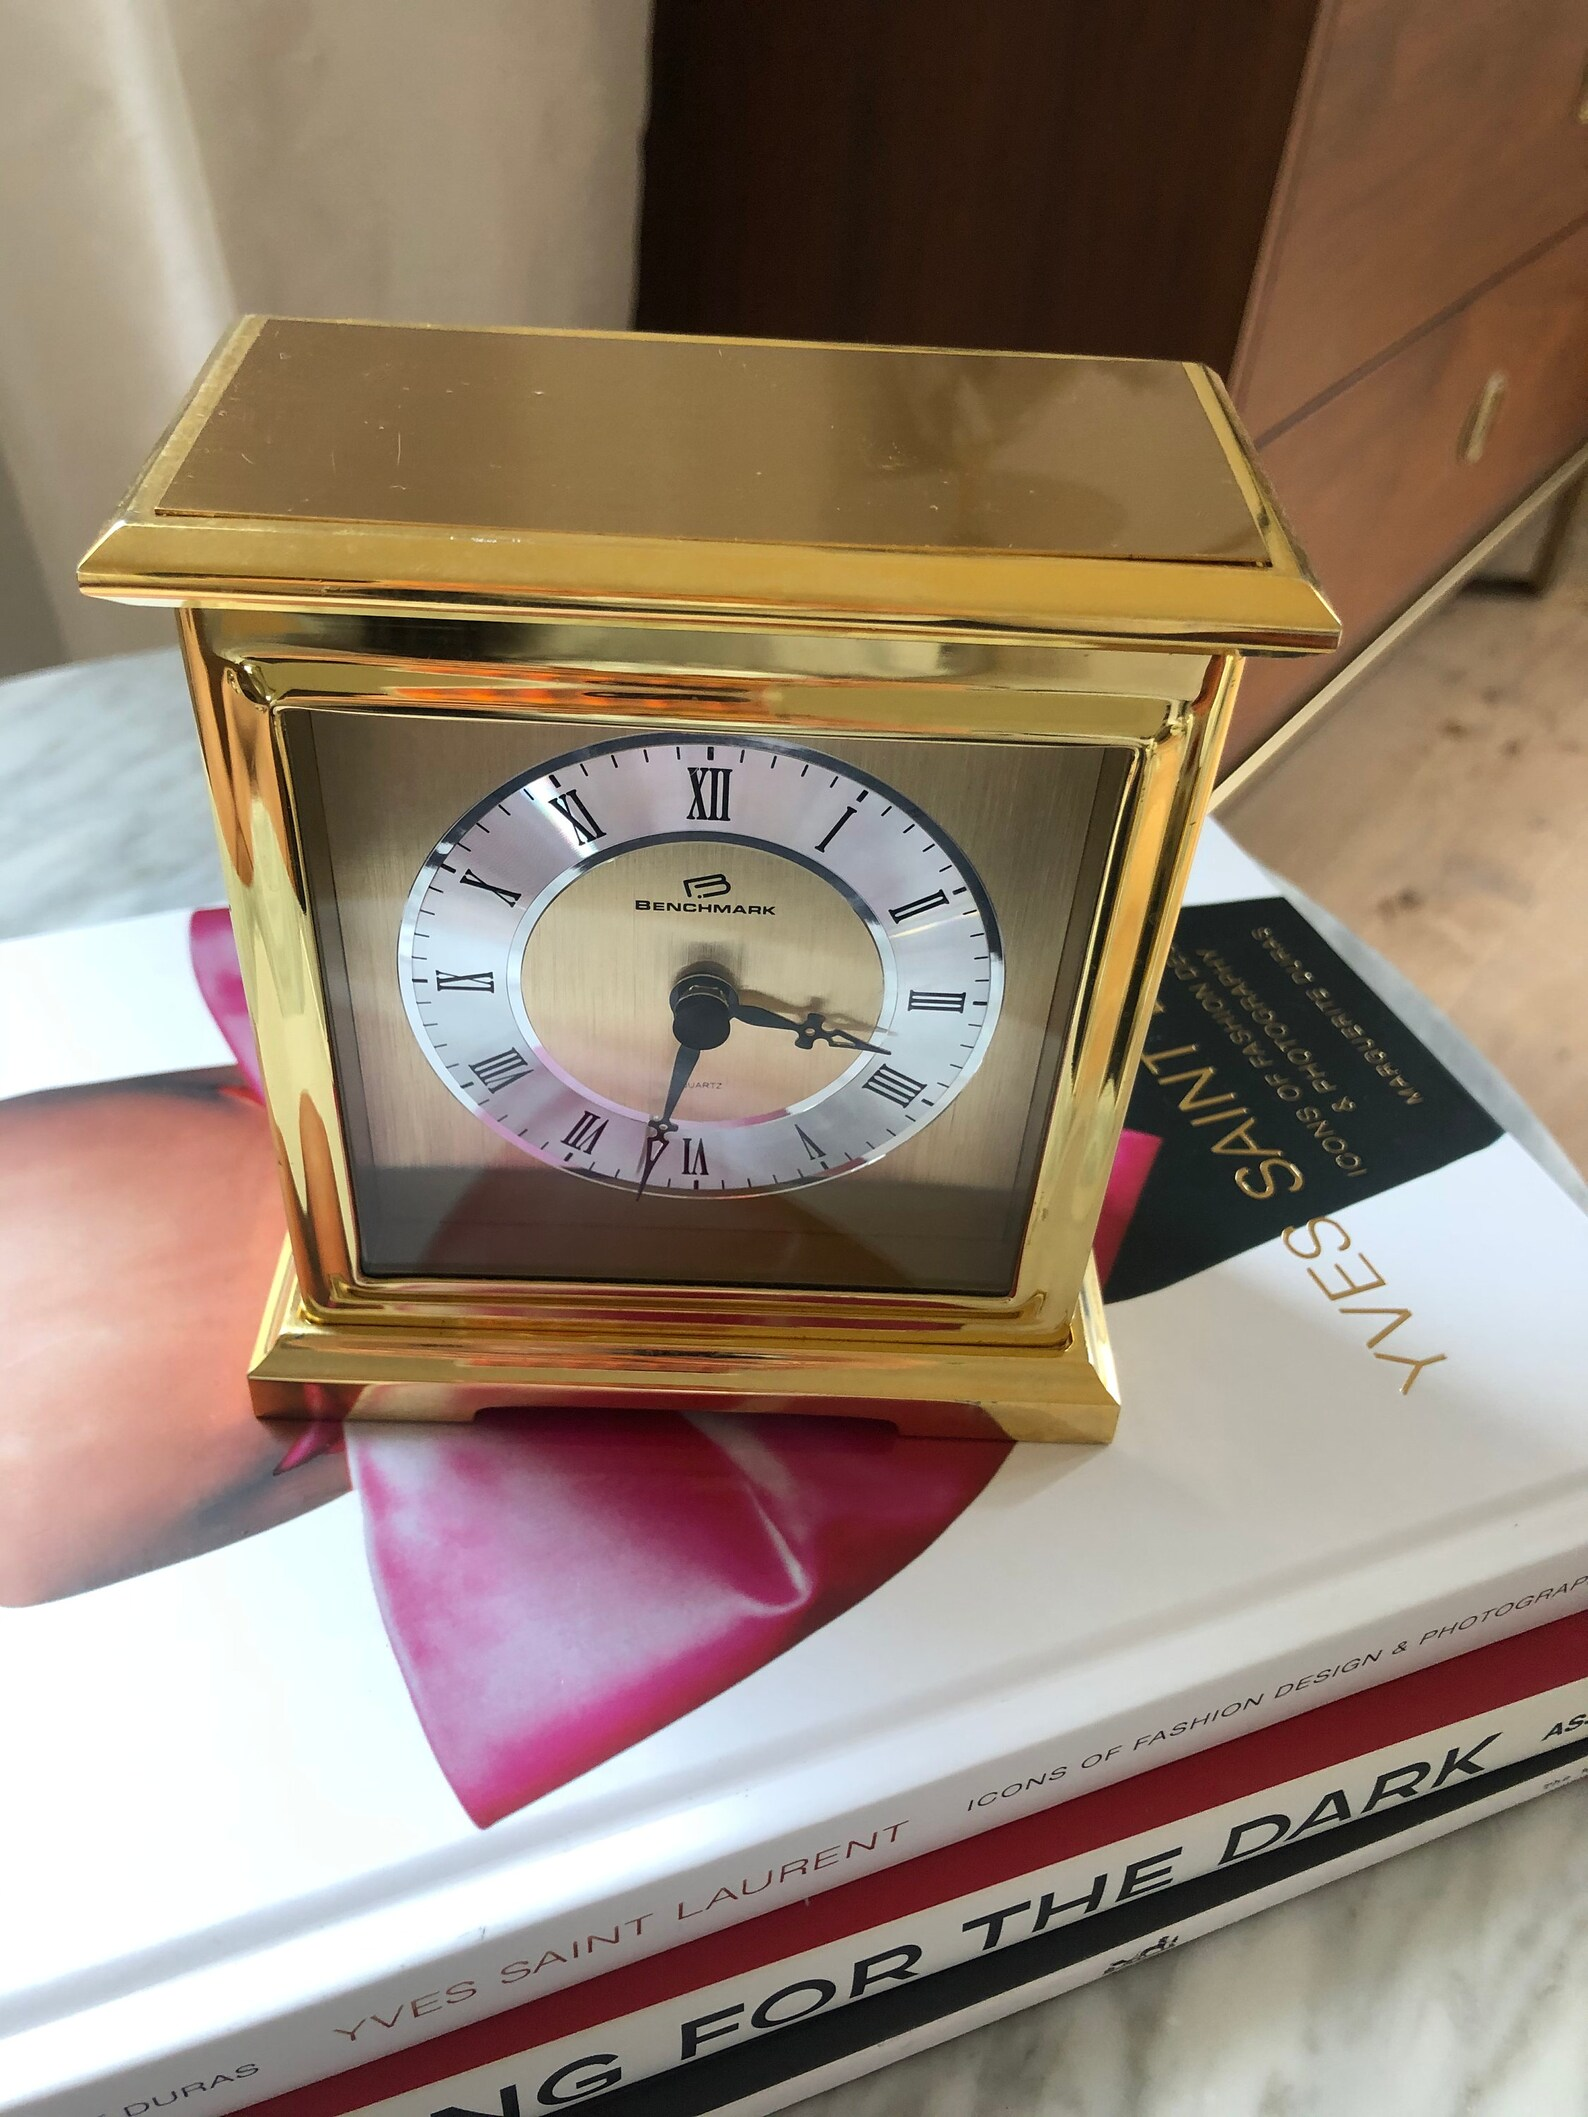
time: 3:32
